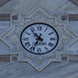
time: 10:34
